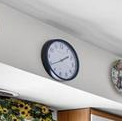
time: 1:39
